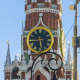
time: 5:44
